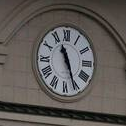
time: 11:26
